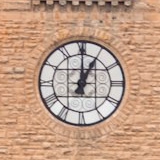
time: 1:00
